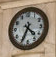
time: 4:34
